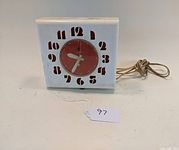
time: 9:34
